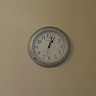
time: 1:02
